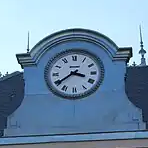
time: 3:39
